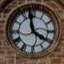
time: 3:58
